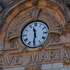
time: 11:30
